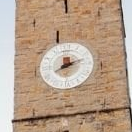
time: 8:12
